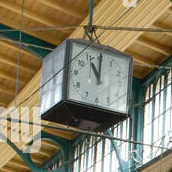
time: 11:00
